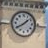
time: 1:39
